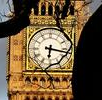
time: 6:17
